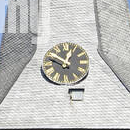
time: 12:49
